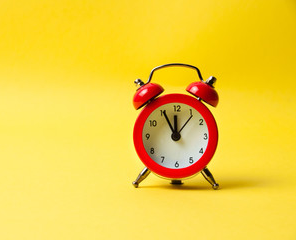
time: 11:55
